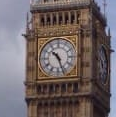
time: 10:26
